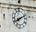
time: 8:11
